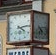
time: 4:13
